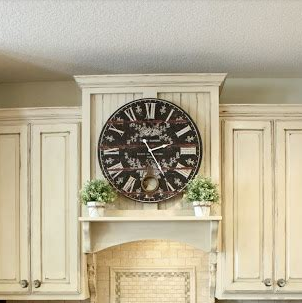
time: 2:24
